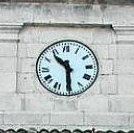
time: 10:30
